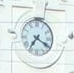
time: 7:19
